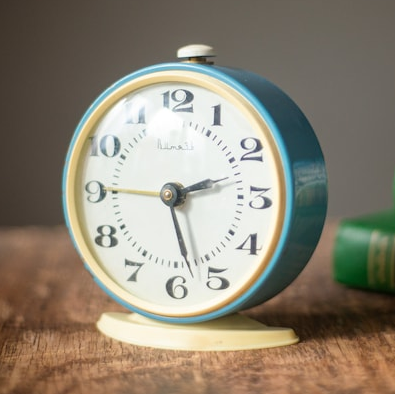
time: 2:27
